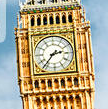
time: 2:36
